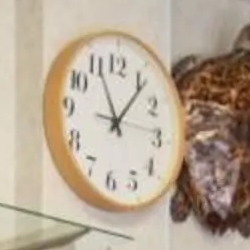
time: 11:06
